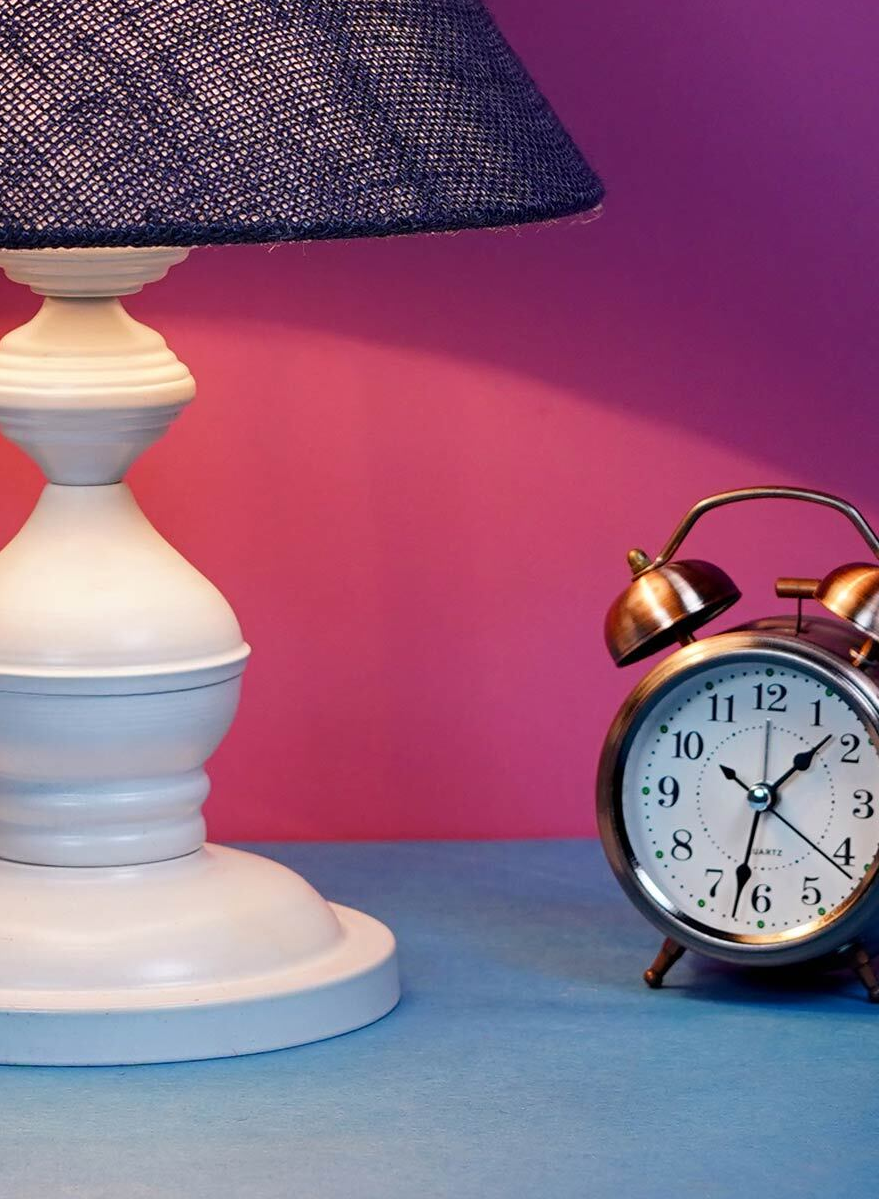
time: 1:32
